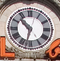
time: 10:32
